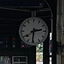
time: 2:39
